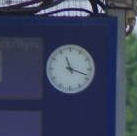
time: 11:18
